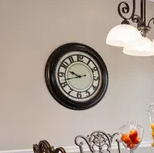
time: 9:42
